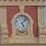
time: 5:06
